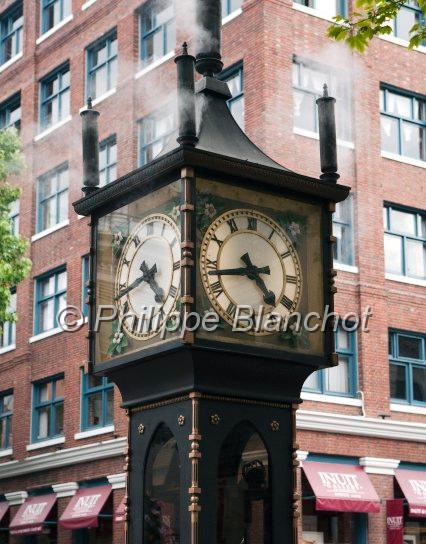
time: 4:42
